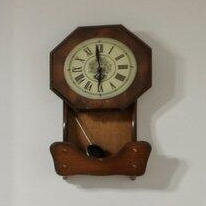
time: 5:59
